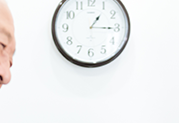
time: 1:15
